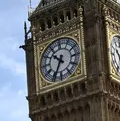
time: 10:34
